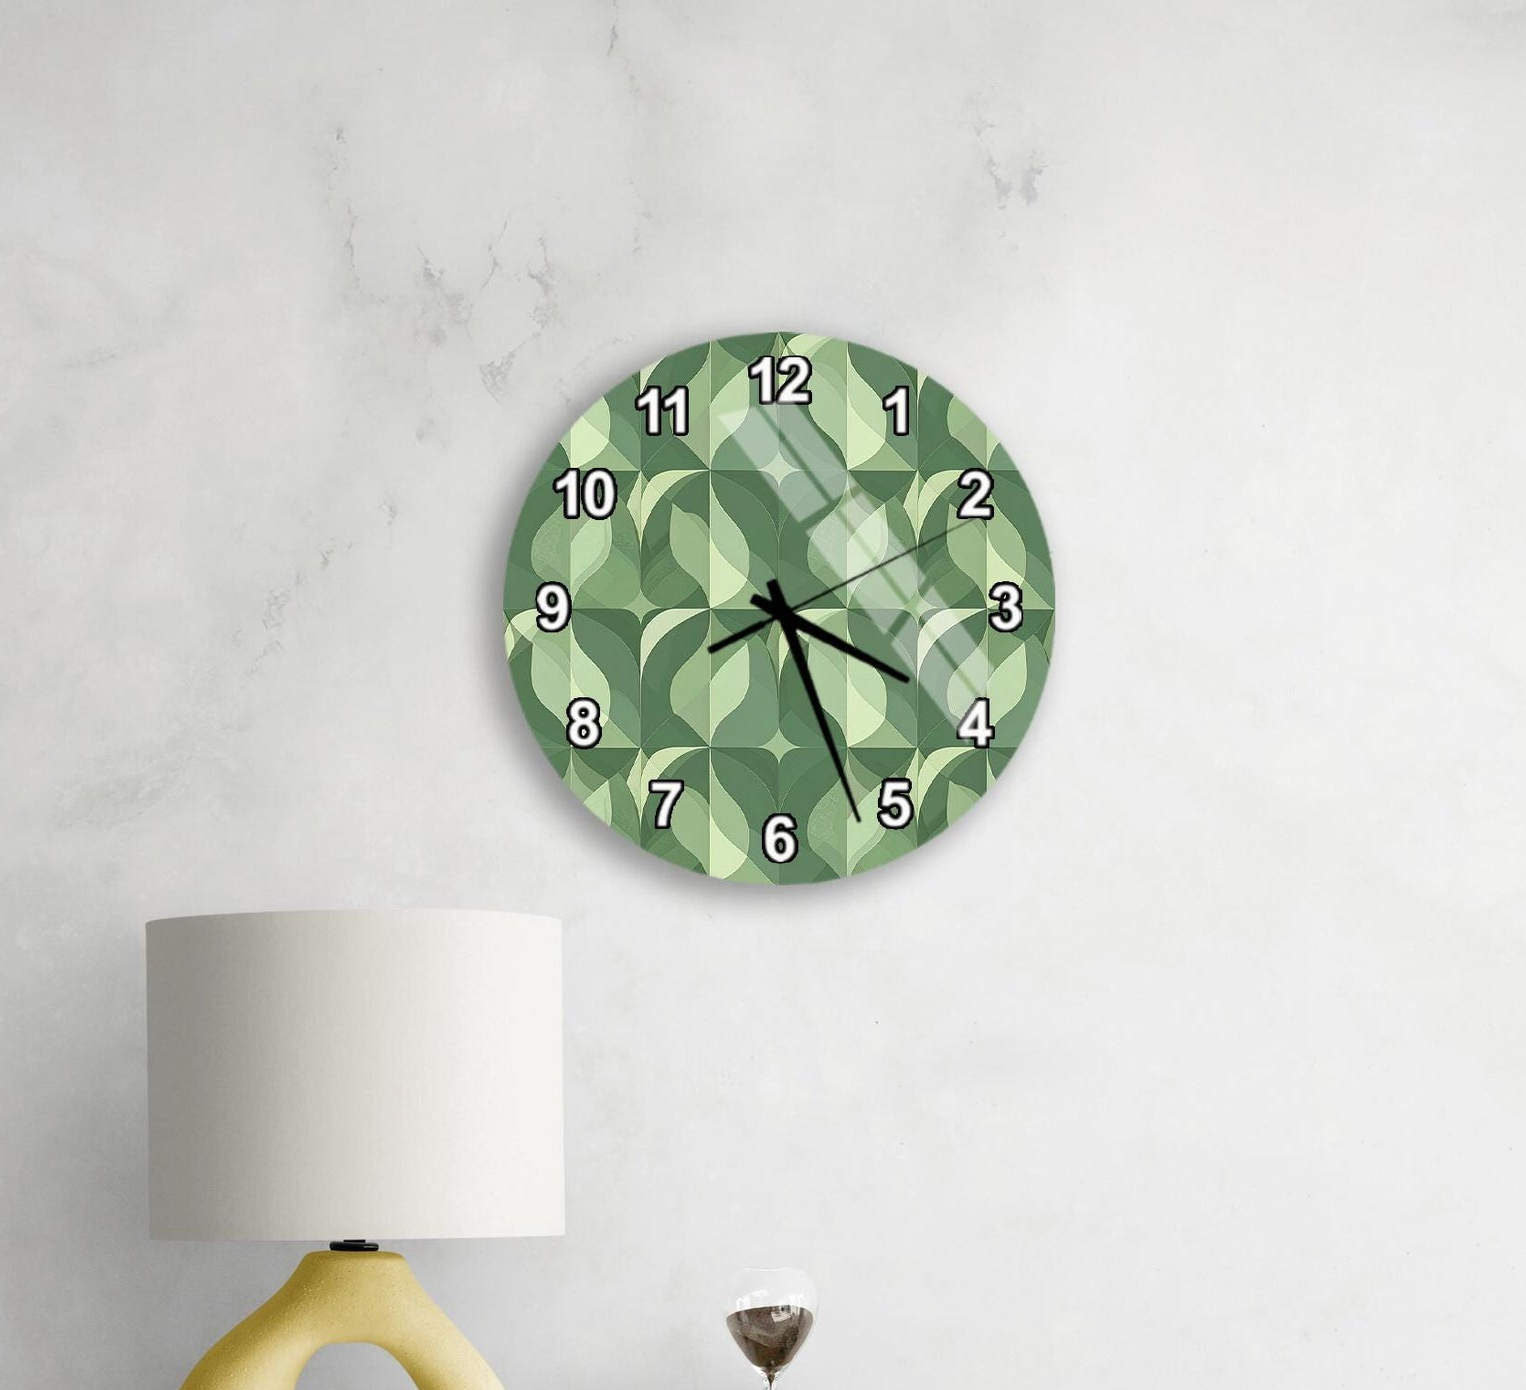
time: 5:19
